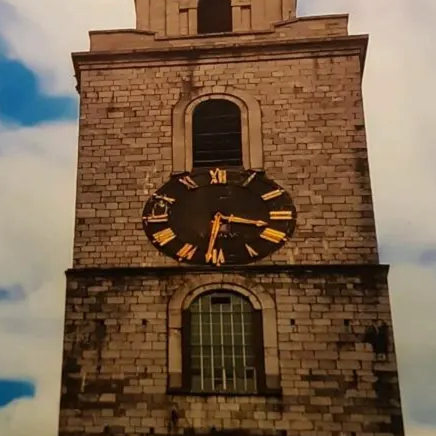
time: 3:31
